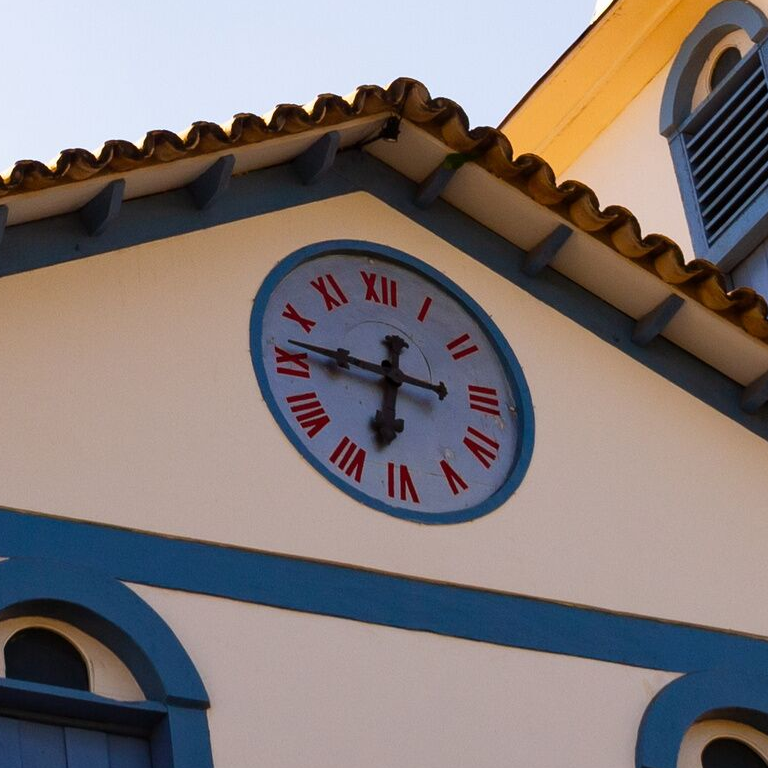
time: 6:46
